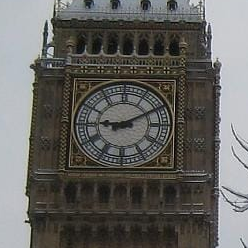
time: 9:10
